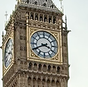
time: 3:40
